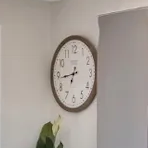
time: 6:43
